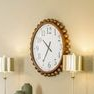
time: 10:35
